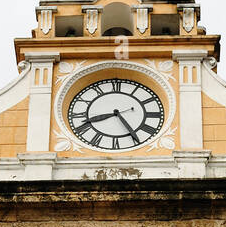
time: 8:24
